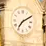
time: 7:09
